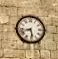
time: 5:42
